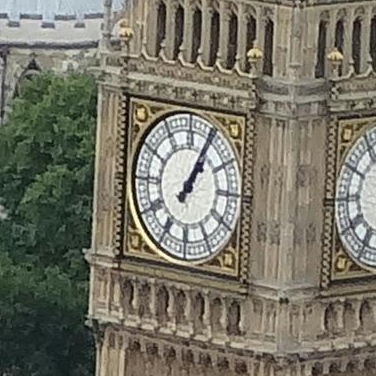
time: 1:04
